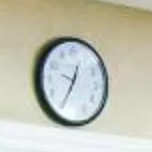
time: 12:34
